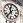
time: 11:36
